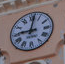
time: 9:01
